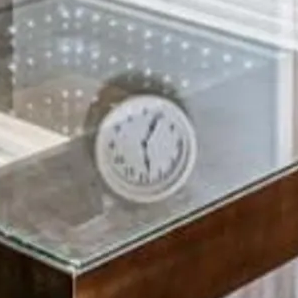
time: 12:28
